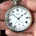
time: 1:51
